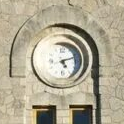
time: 5:11
